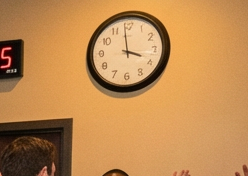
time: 3:58
